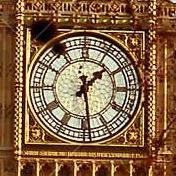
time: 1:28
